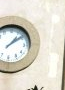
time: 1:08
